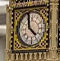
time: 3:58
